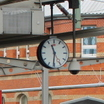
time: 11:31
